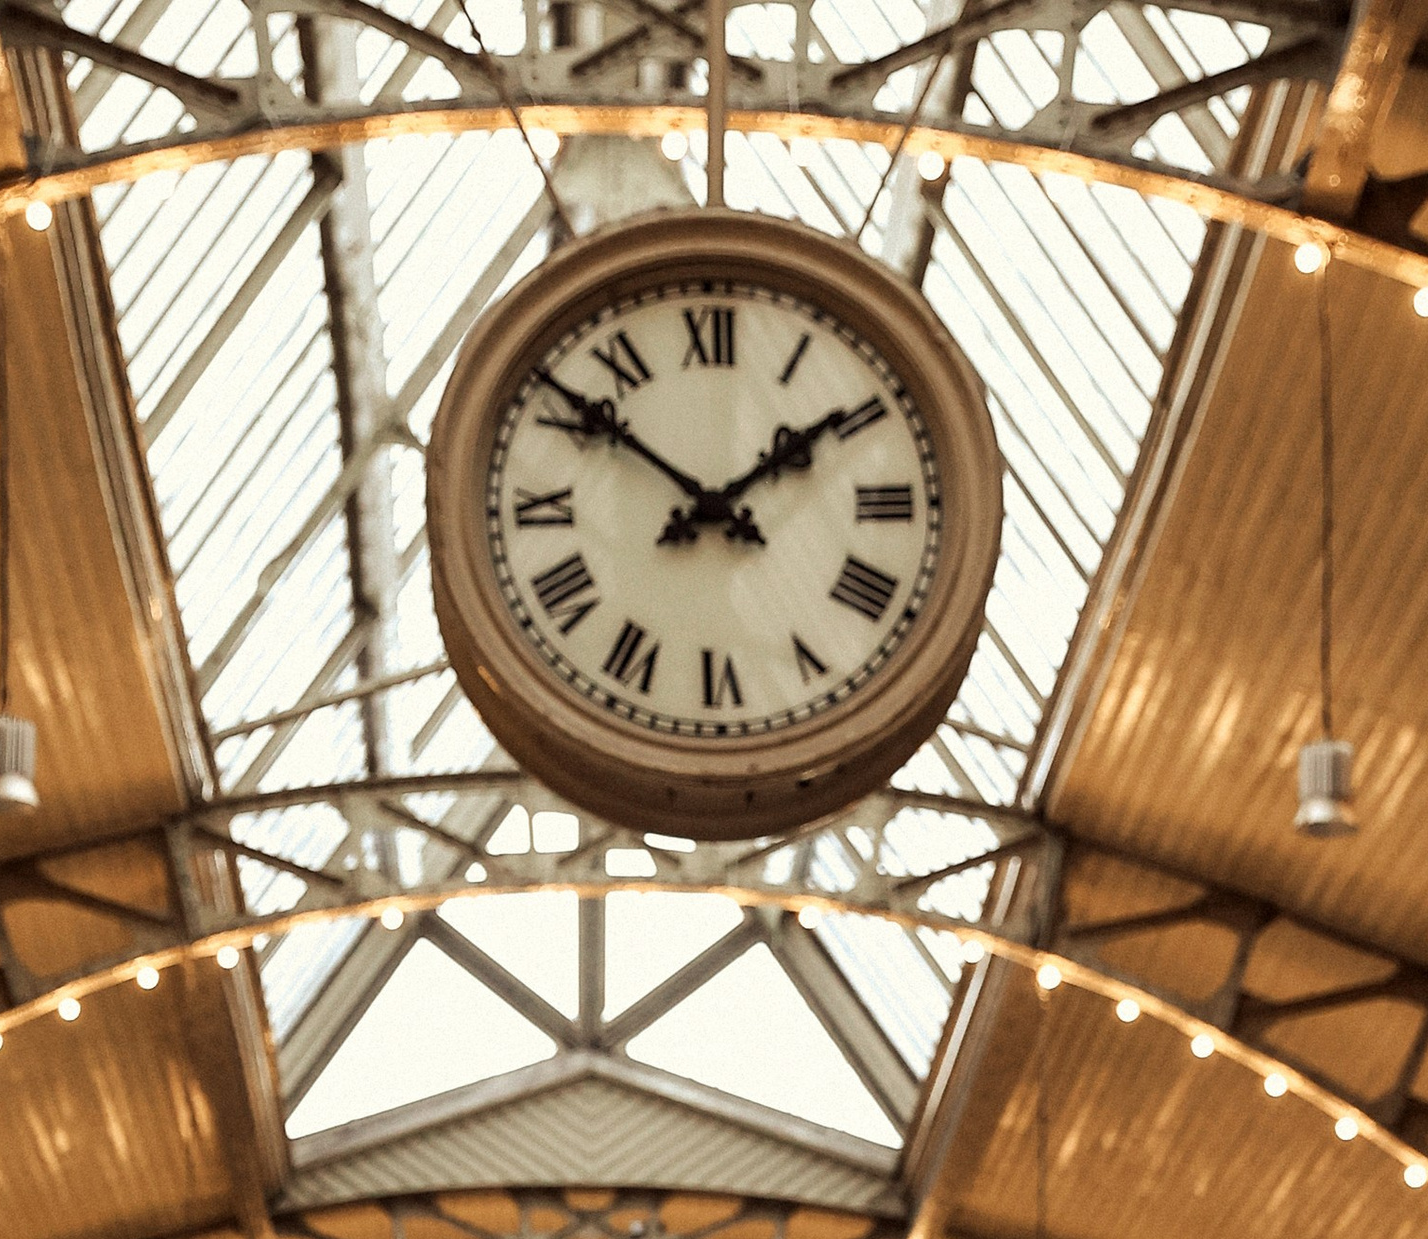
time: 1:51
